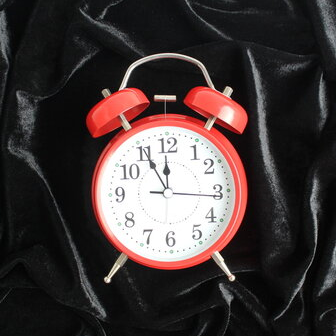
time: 11:55
